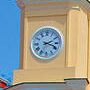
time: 2:18
